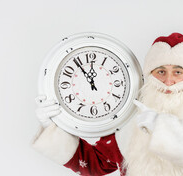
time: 11:54
